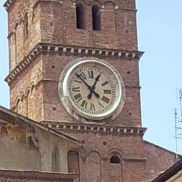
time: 12:52
